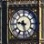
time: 9:28
